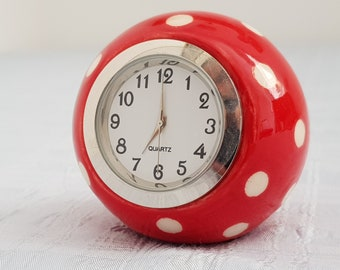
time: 6:59
